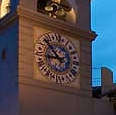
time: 8:52
